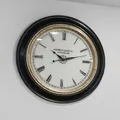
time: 10:12
